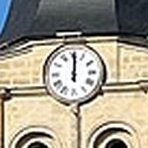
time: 12:00
